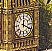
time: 12:19
